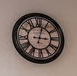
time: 3:02
